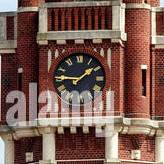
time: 1:46
